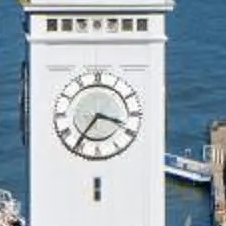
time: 3:35
